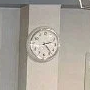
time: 2:23
